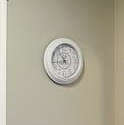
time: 10:43
